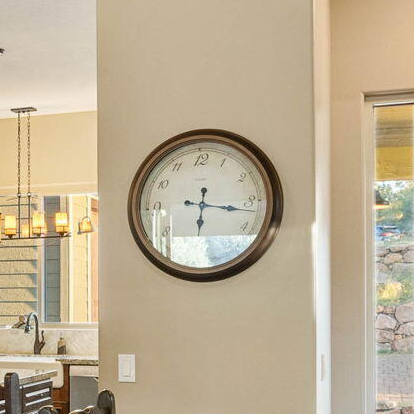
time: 6:16
